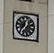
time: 12:37
